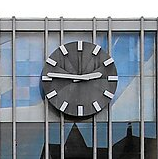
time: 2:45
